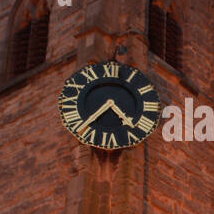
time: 4:37
